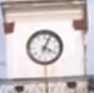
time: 4:04
